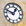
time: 12:48
